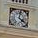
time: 4:01
